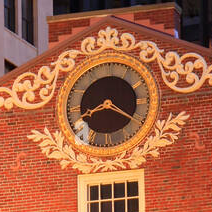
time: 8:20
